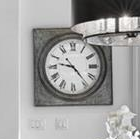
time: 9:23
